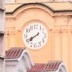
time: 7:40
